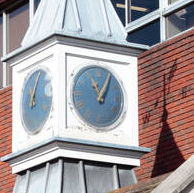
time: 11:04
